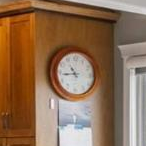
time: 10:43
